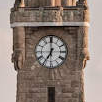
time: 6:59
